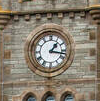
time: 1:17
